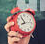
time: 7:54
